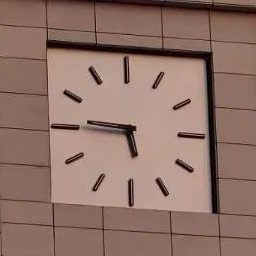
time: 5:45
